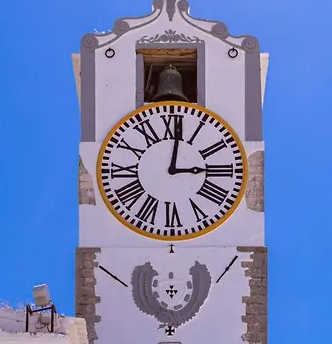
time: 3:01
